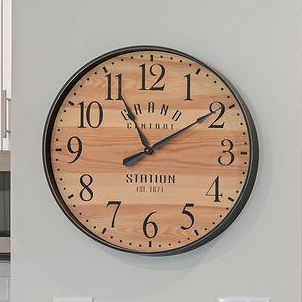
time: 11:09
